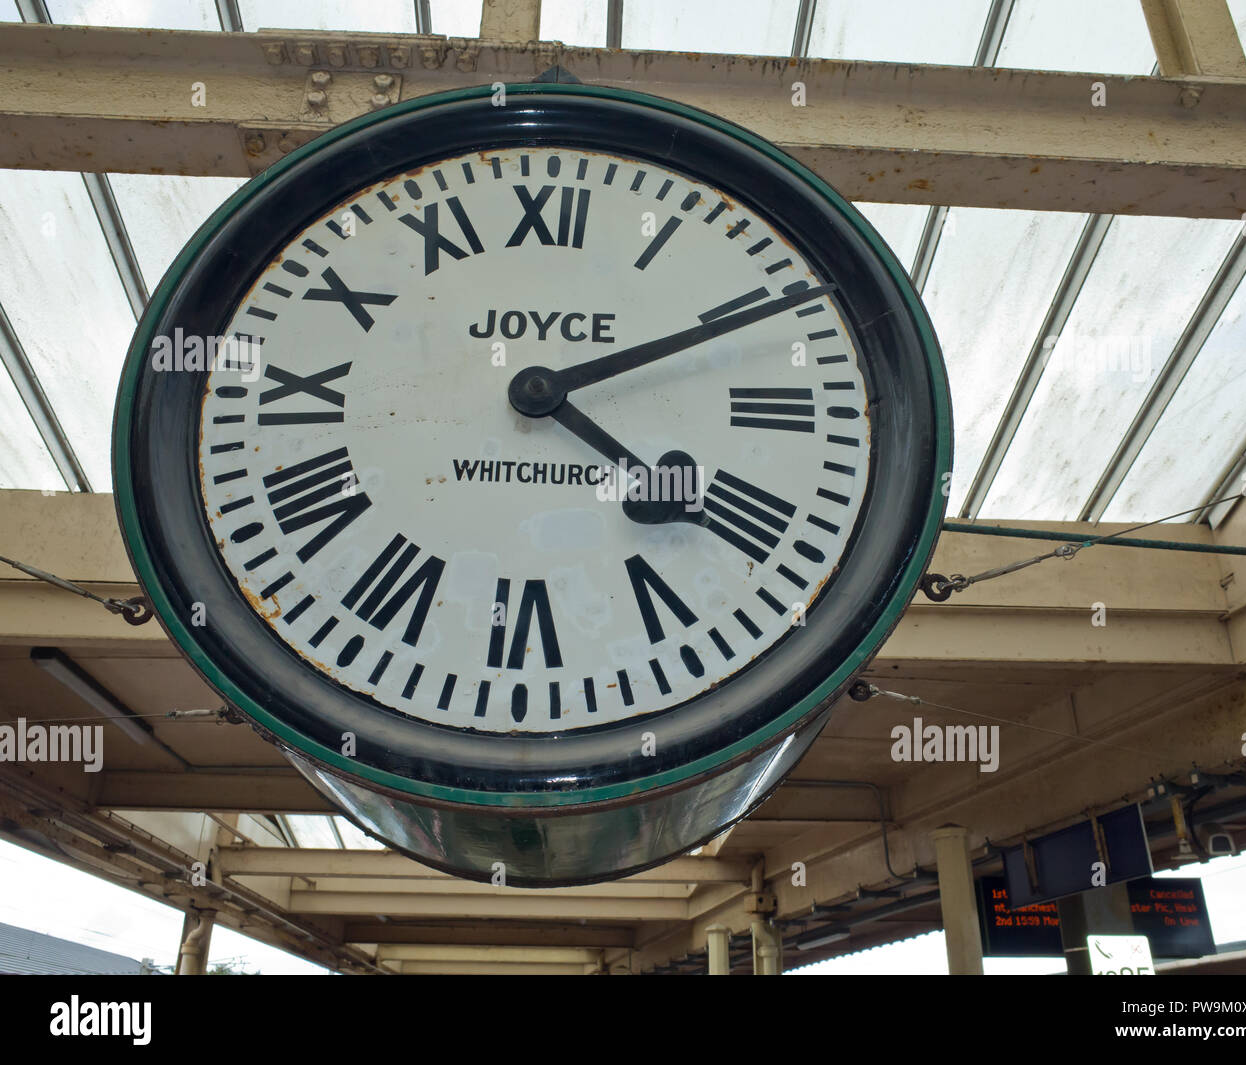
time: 4:10
